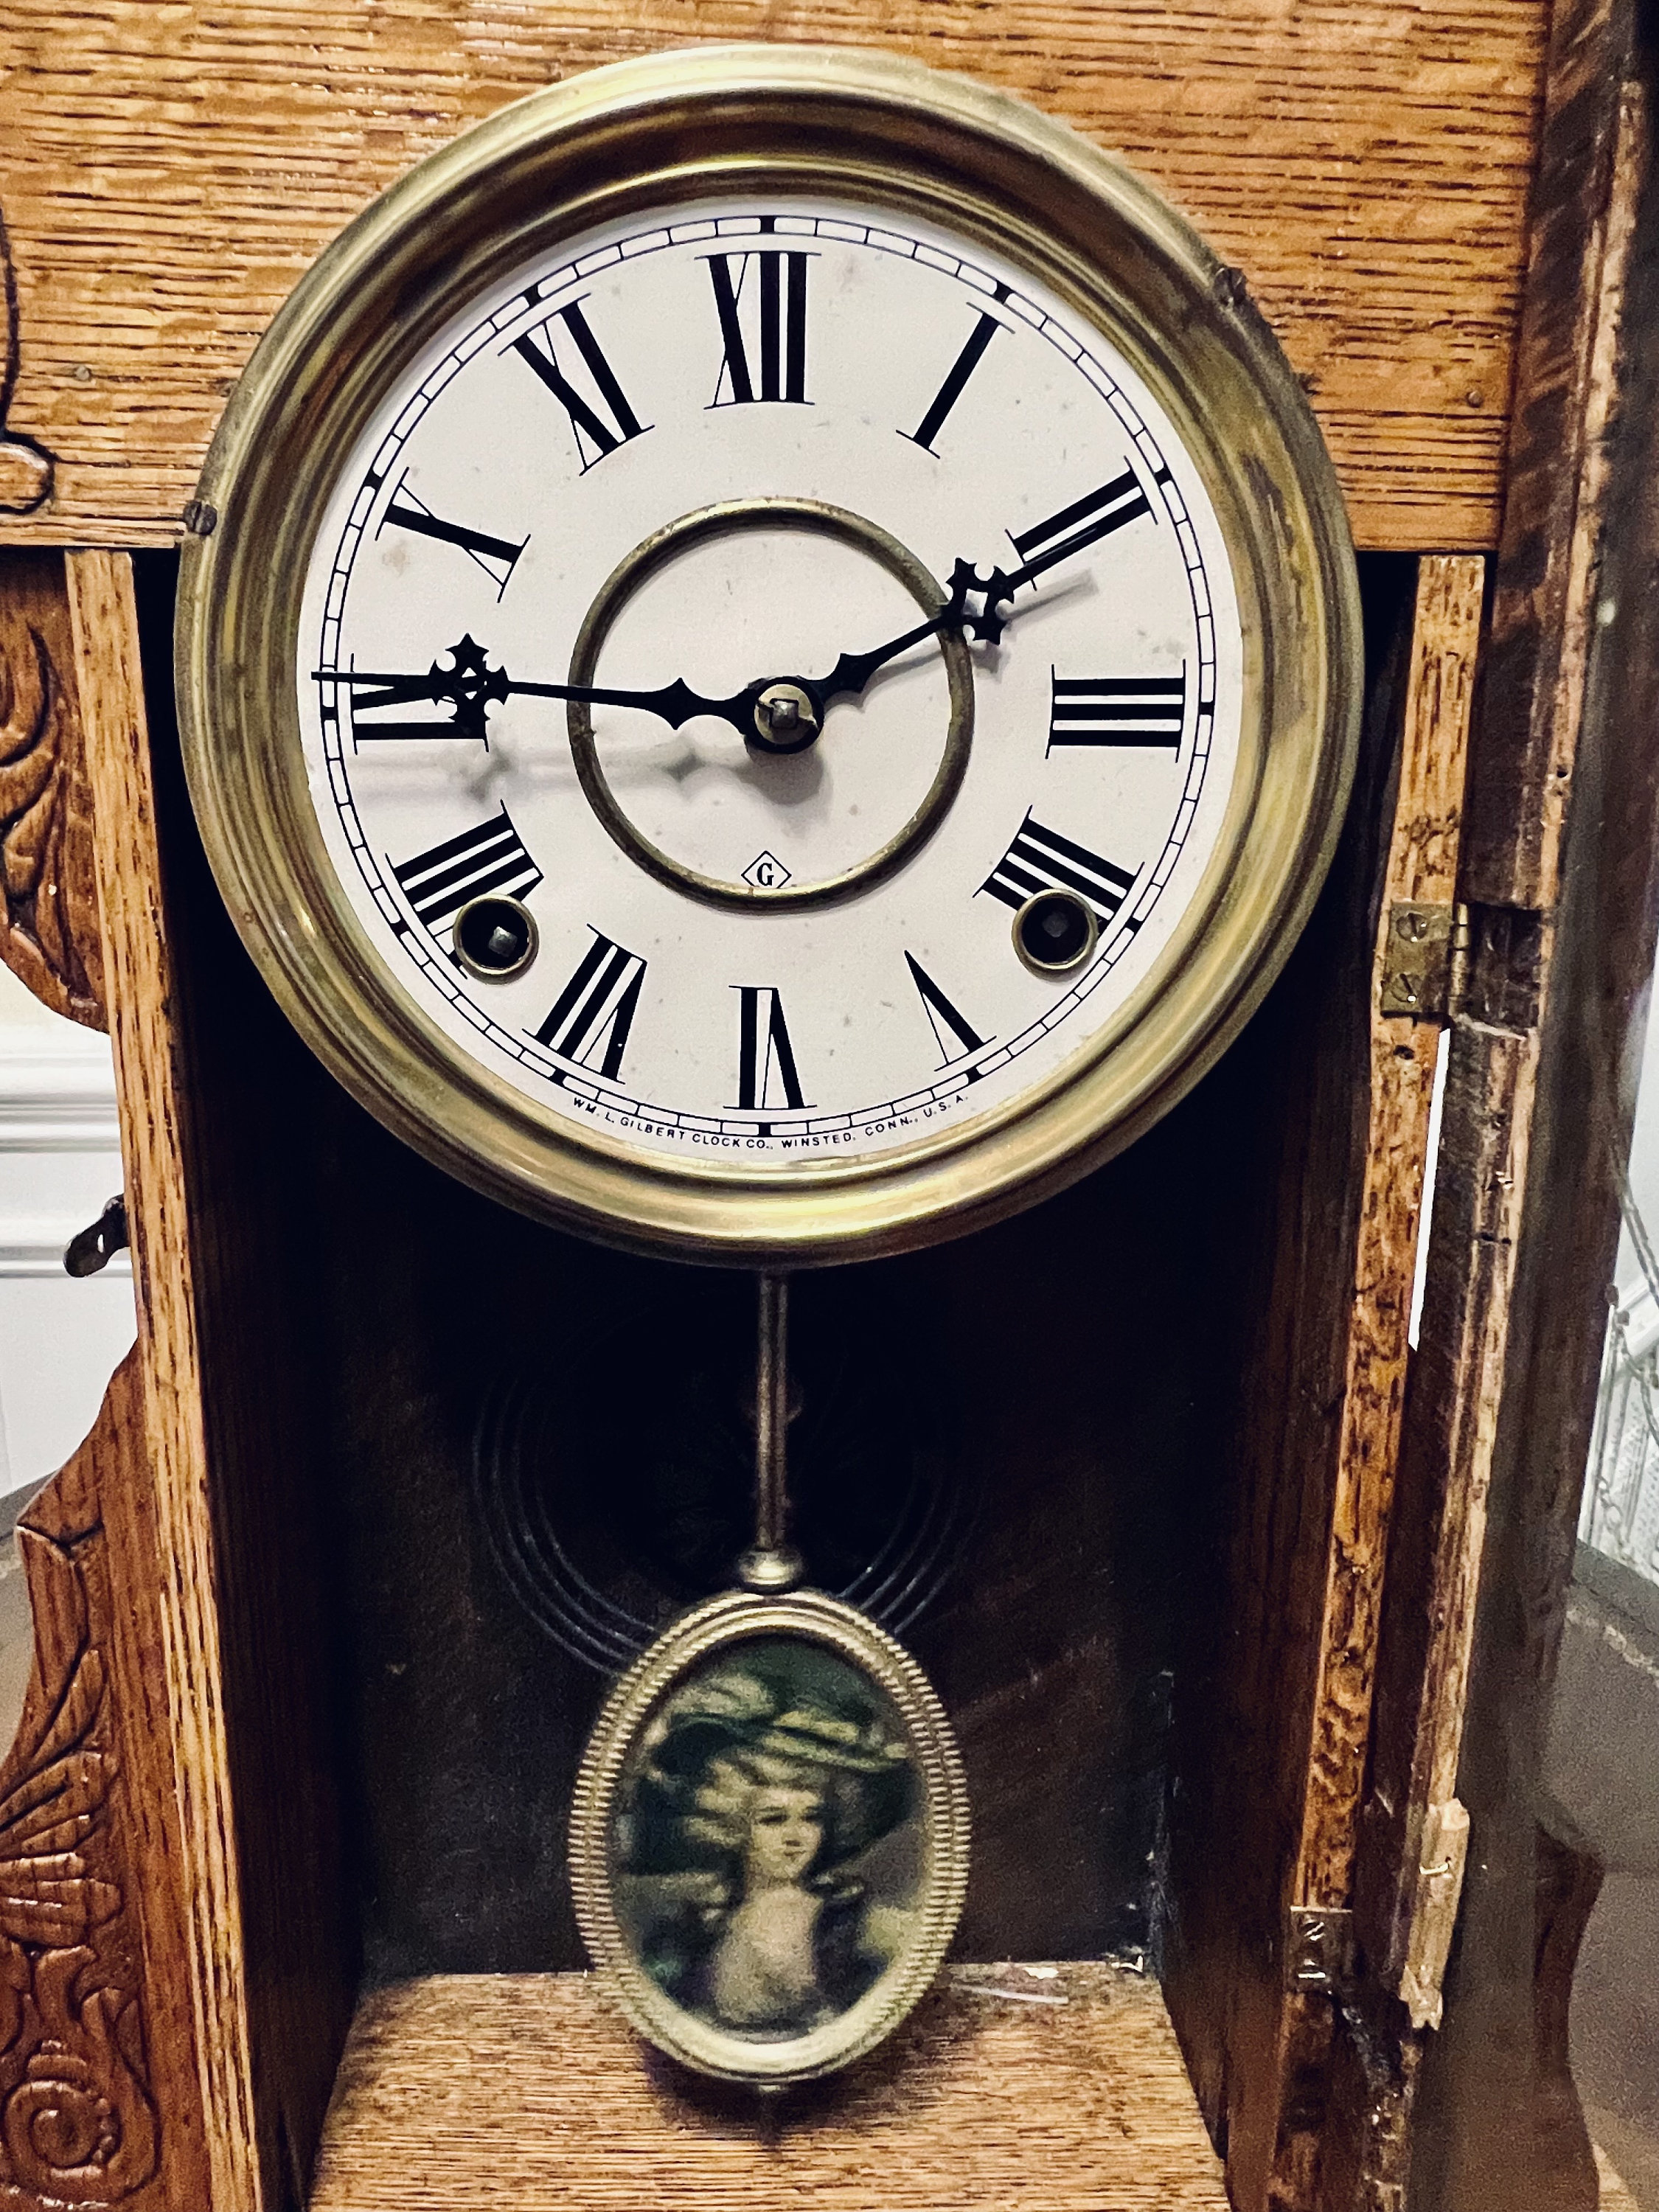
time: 9:10
